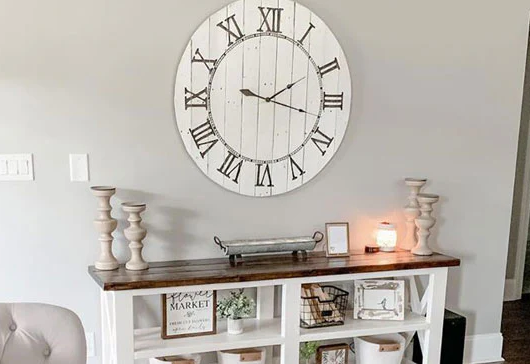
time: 2:17
